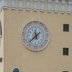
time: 11:37
